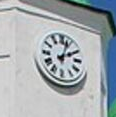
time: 2:03
